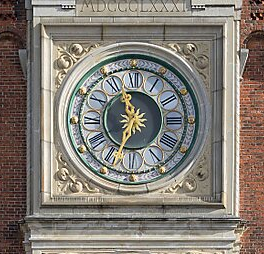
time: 11:33
